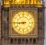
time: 8:44
